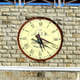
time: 5:18
